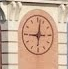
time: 9:01
